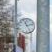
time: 11:12
